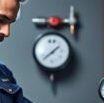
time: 1:37
